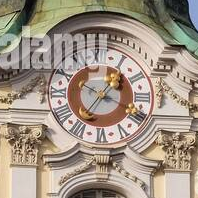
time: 1:18
